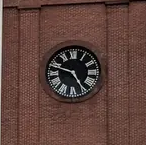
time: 4:48
